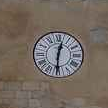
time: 12:30
